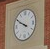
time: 9:50
